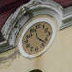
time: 11:21
